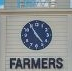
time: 4:54
